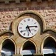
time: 5:14
